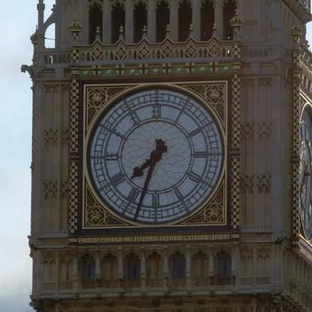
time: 7:33
